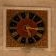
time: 5:15
